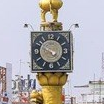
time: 4:49
